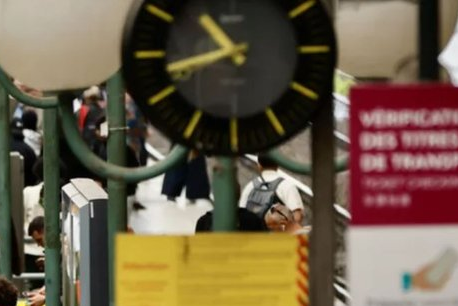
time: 10:42
